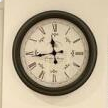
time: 11:43
